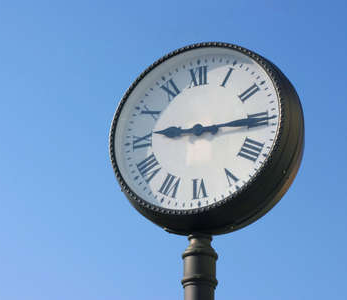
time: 9:14
